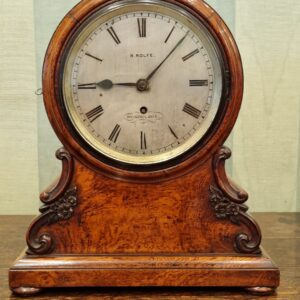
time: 9:07
